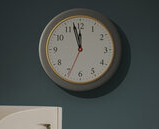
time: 11:57
